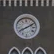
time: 8:10
